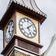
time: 5:07
